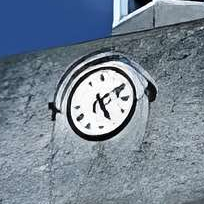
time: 5:09
